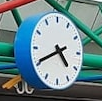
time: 4:40
